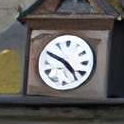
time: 4:49
